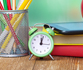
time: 12:02
